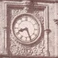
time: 8:26
